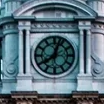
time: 8:02
